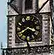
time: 3:40
